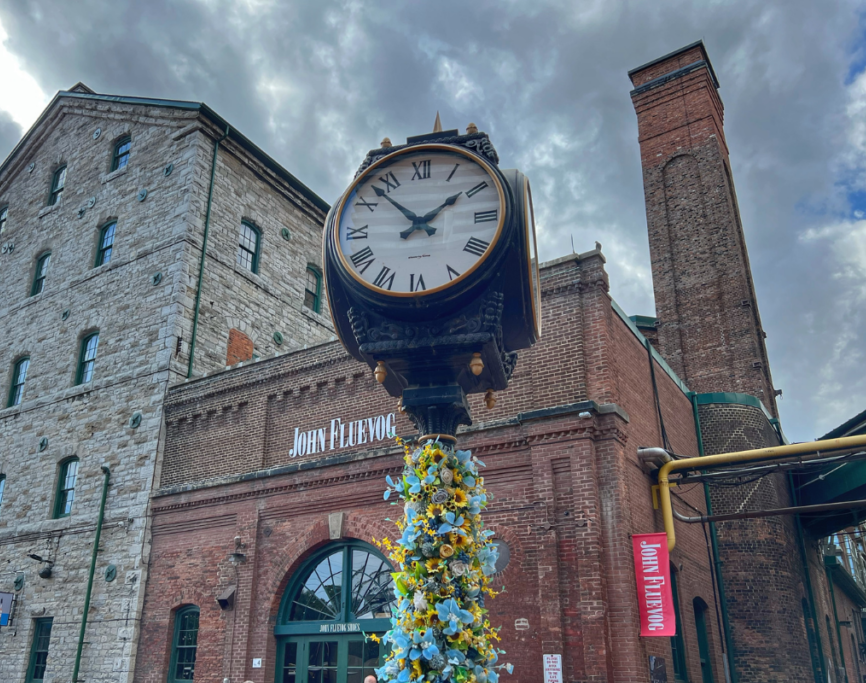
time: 1:52
